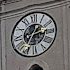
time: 2:35
